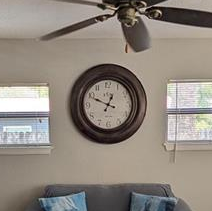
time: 12:49
